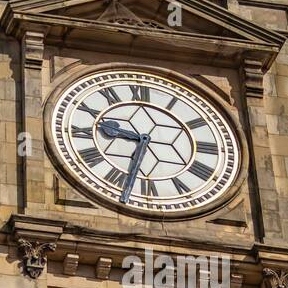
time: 9:33
